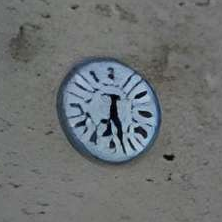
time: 6:27
